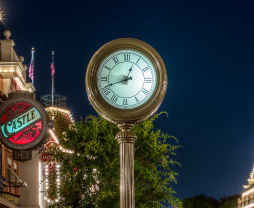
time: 12:41
